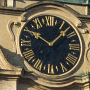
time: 10:07
